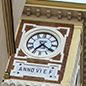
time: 7:20
